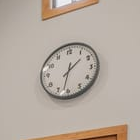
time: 1:32
